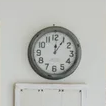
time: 12:05
